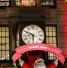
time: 5:49
